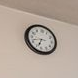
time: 6:42
